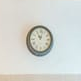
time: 11:02
